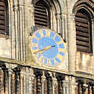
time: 7:40
